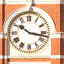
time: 10:17
